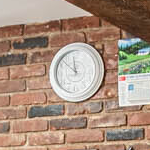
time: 11:52
